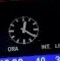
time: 12:20
